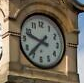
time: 9:36
